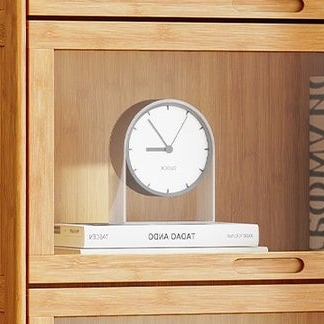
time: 8:54
